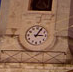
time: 3:04
